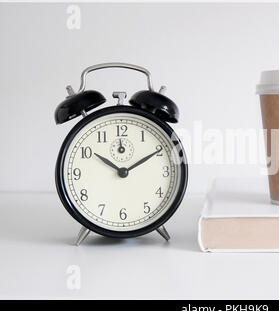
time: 10:10
